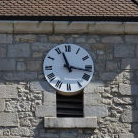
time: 11:16
